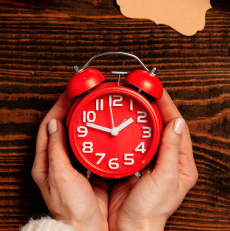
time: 1:47
